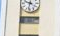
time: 9:32
